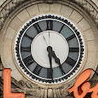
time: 4:29
